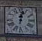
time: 12:02
